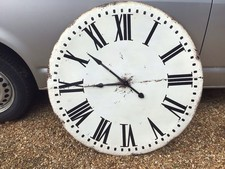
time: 8:51
